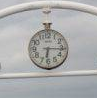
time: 6:15
